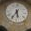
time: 5:35
